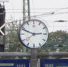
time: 2:48
